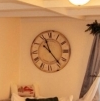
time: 11:23
